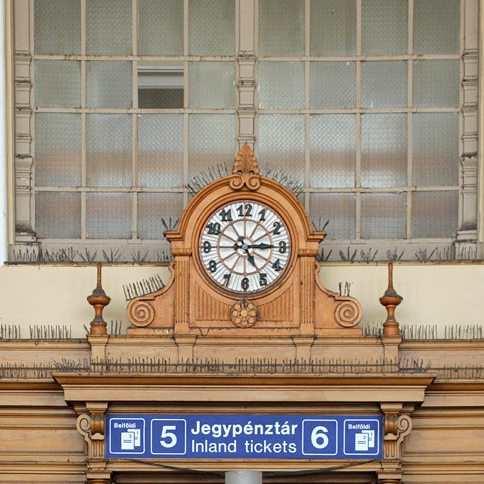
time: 5:14
